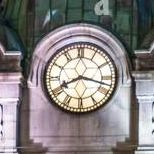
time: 8:17
